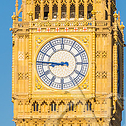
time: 8:45
